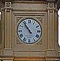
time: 10:53
